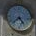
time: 4:37
